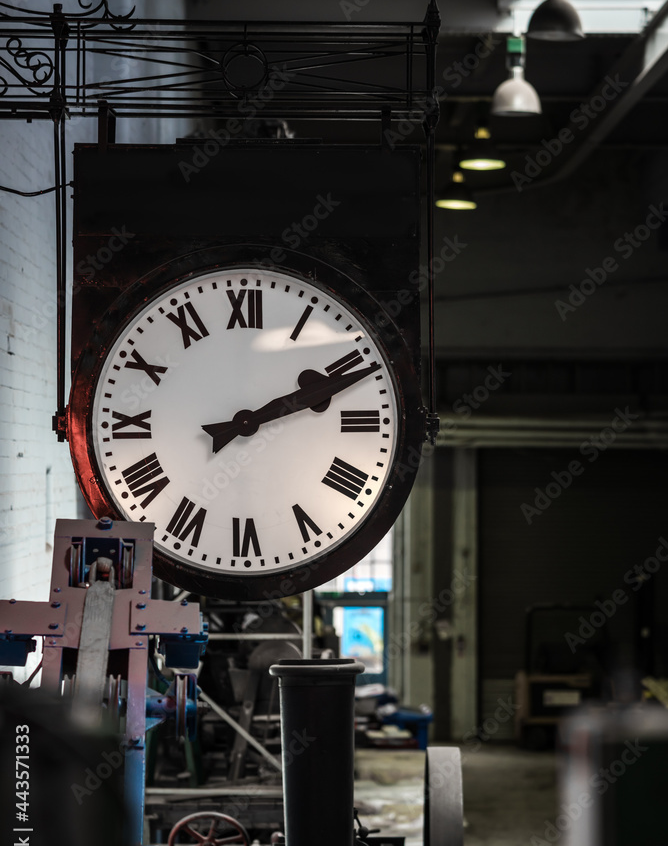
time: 2:11
